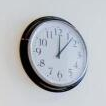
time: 12:07
